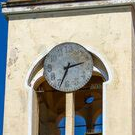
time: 2:33
